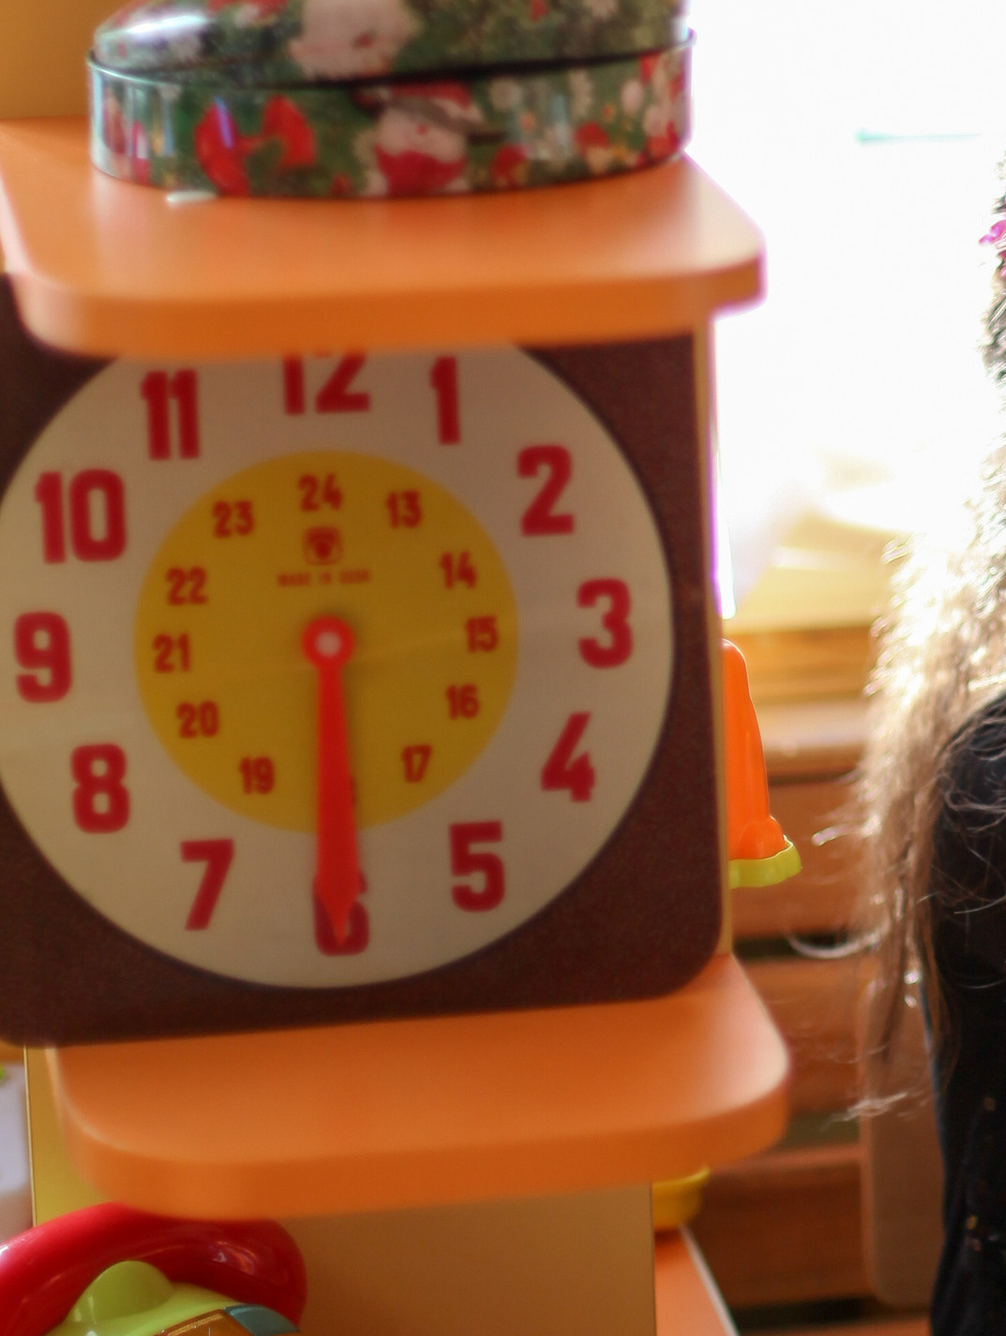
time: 6:30
